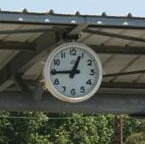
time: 12:44
